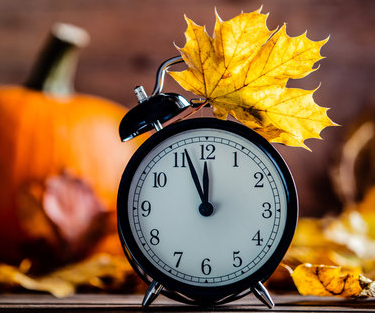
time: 11:56
